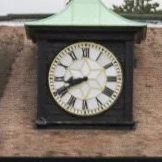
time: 8:40
